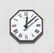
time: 12:07
